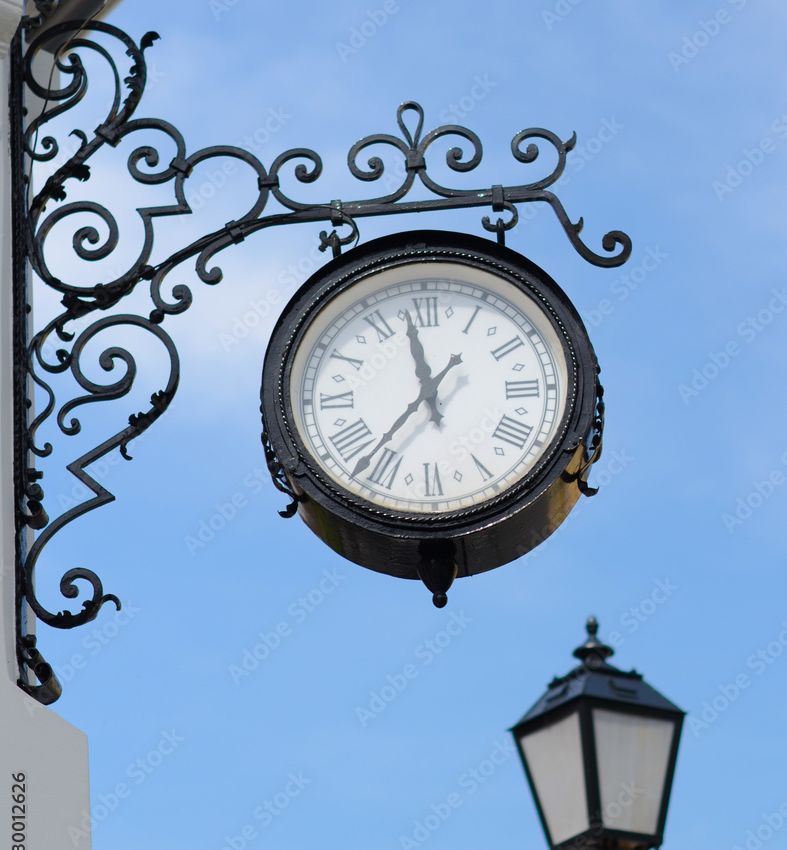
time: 11:36
